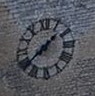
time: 1:38
